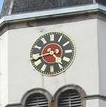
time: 4:42
